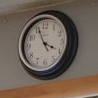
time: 3:56
